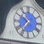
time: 10:36
